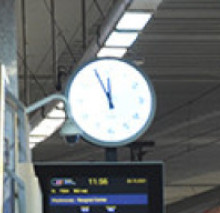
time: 11:55
